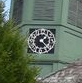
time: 1:23
